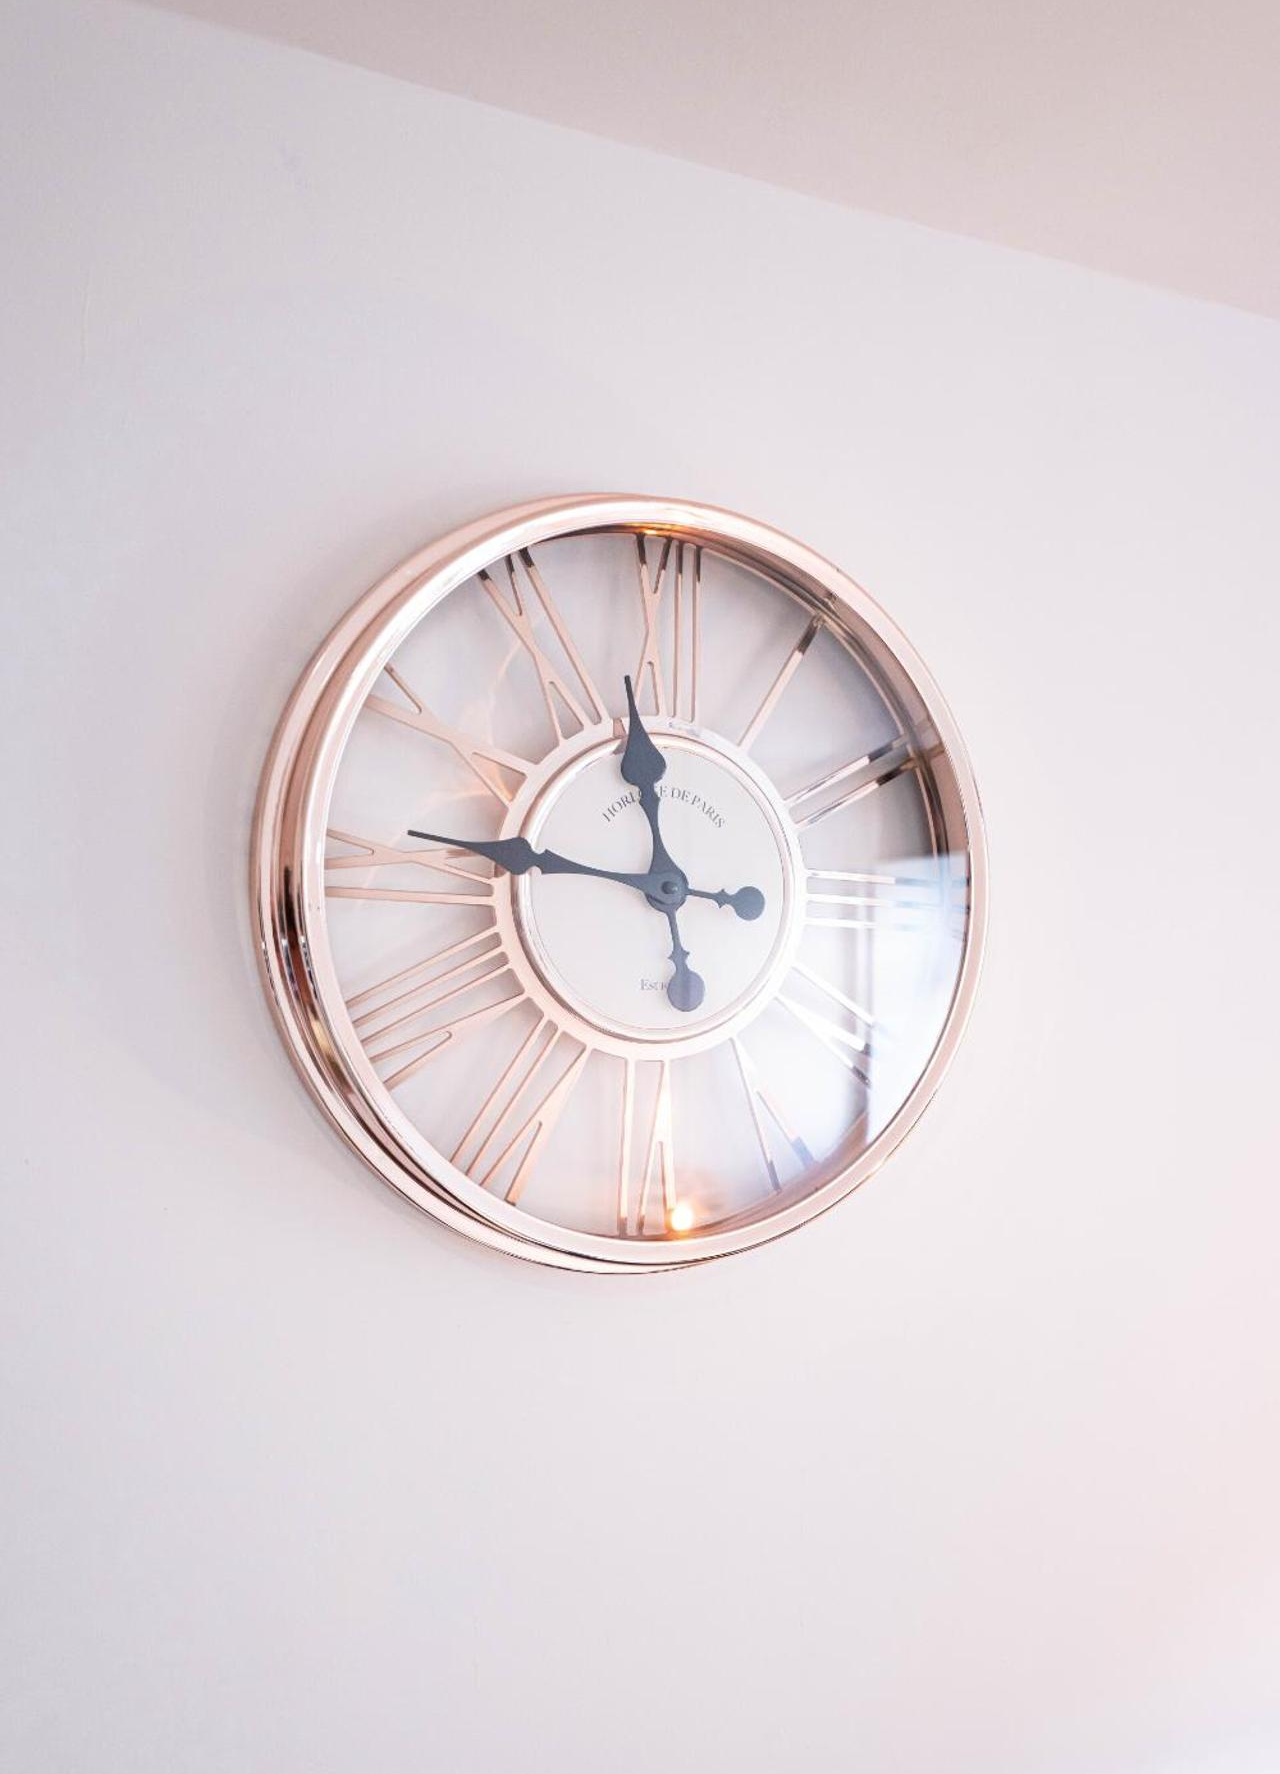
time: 11:46
